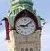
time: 9:08
